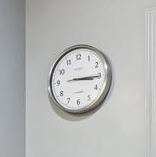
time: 3:15
